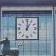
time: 1:00
